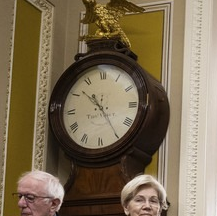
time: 10:24
